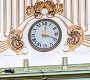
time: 12:18
